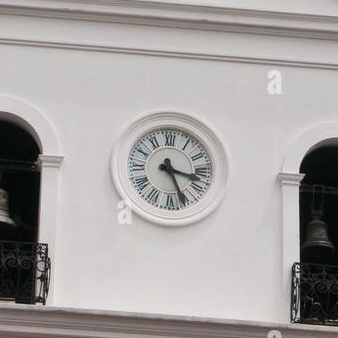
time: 3:26
